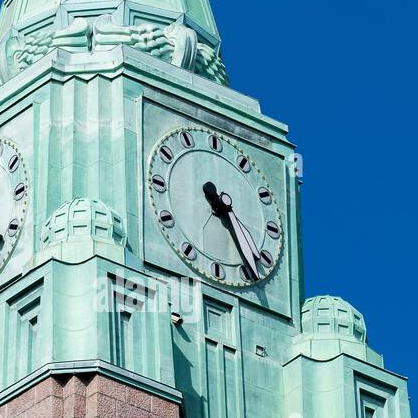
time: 4:24
